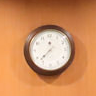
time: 7:37
